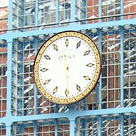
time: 11:29
